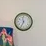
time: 11:34
